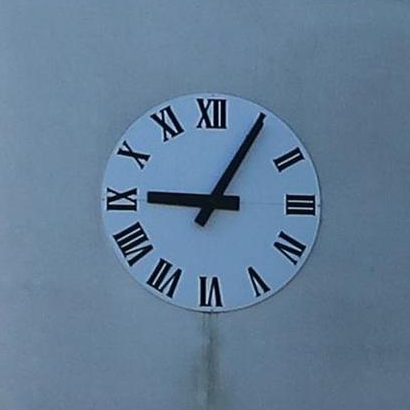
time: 9:05
